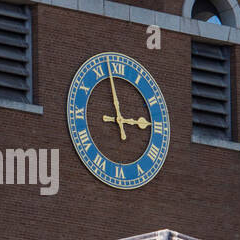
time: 2:57
